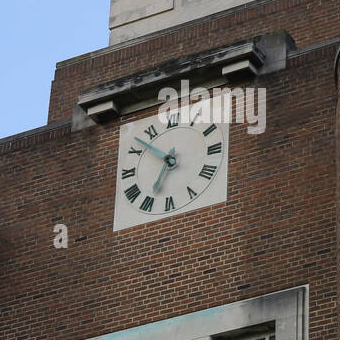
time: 6:52
